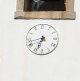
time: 6:42
